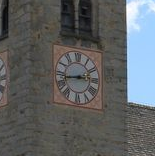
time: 2:43
